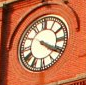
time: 4:19
